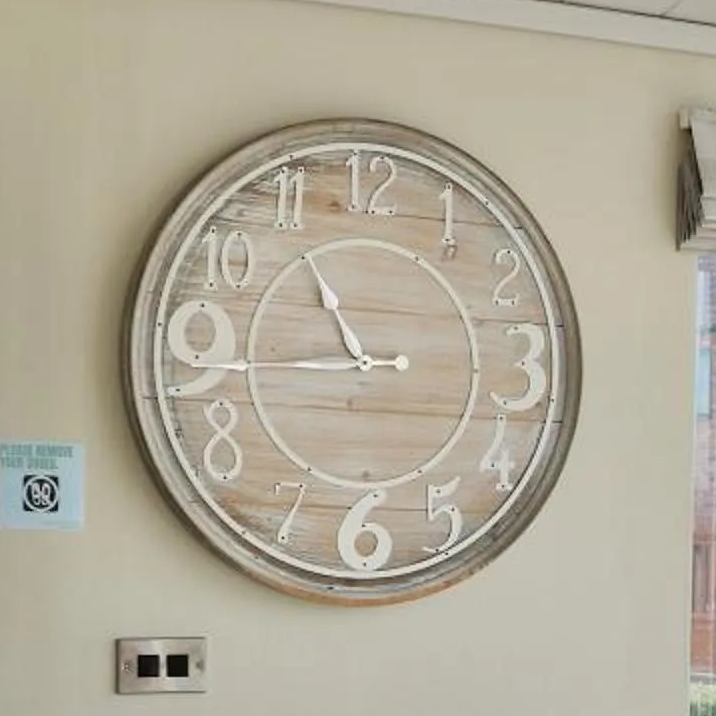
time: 10:44
